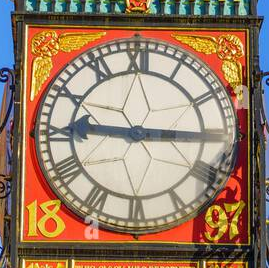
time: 9:15
